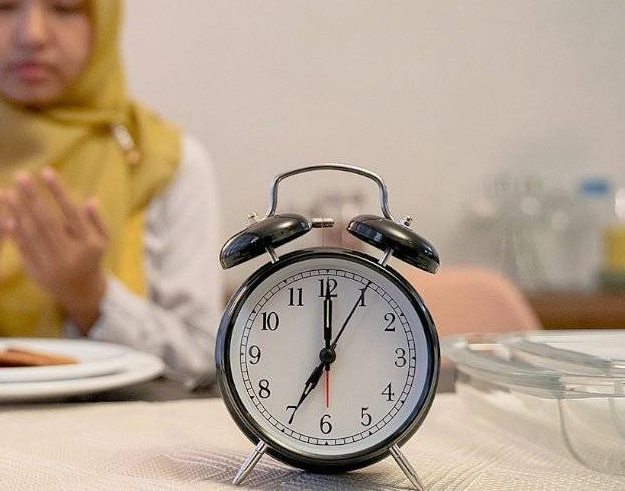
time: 7:00
